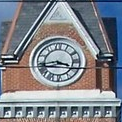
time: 3:43
